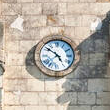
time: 4:51
